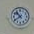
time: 10:39
